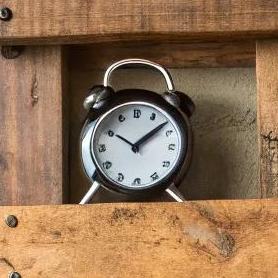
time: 10:08
